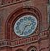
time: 2:34
